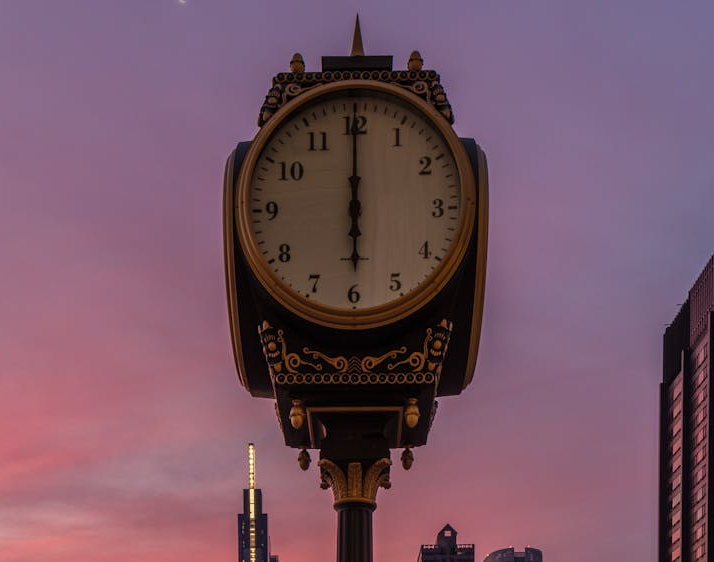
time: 5:59
